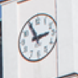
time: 2:55
